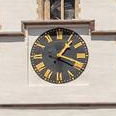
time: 1:18
